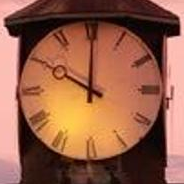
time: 10:00
